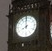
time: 7:59
